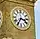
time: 3:35
